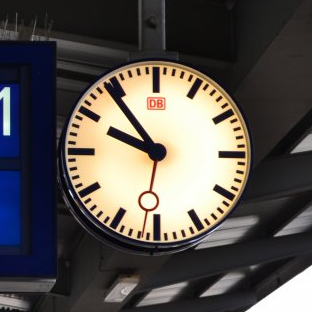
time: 9:54
